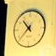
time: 10:37
